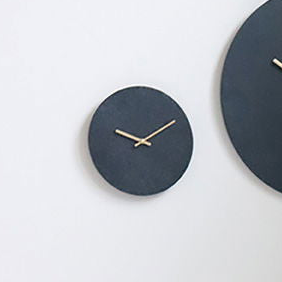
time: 9:09
